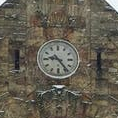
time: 9:23
